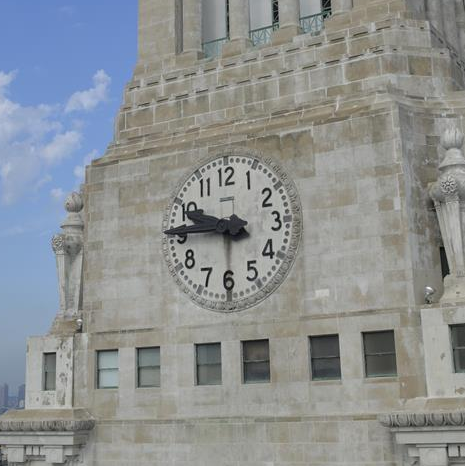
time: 9:45
